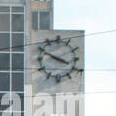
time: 3:49
